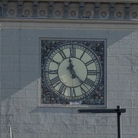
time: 11:22
